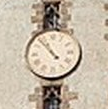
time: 10:53
